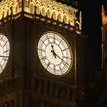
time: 11:18
